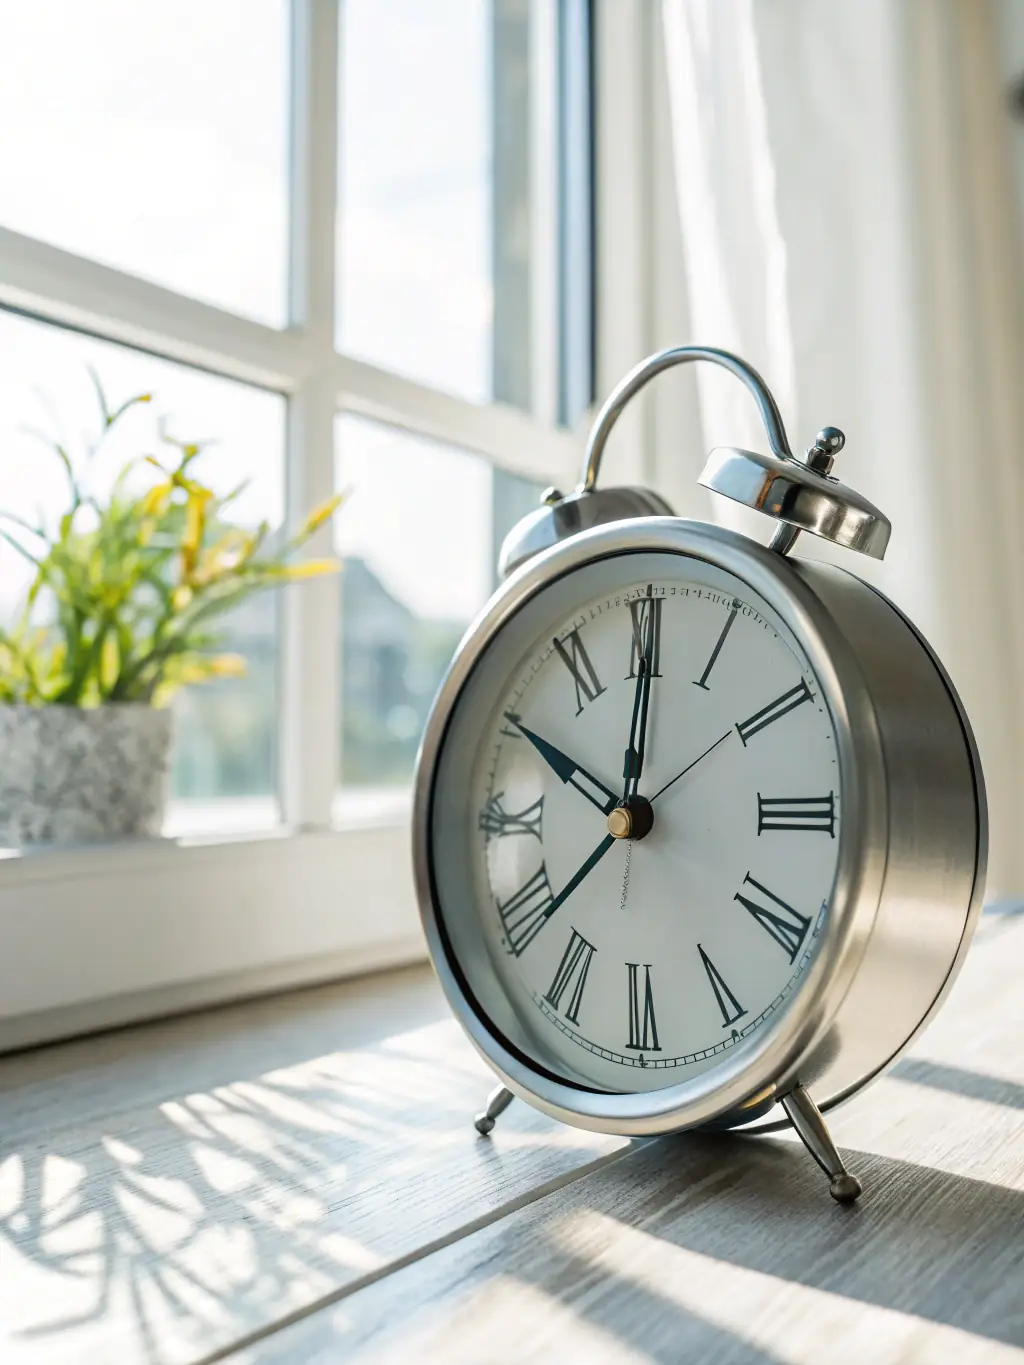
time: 10:00
